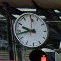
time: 9:43
